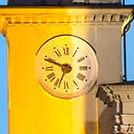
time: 6:48
